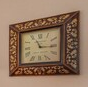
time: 11:16
